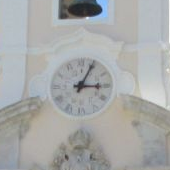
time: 3:04
